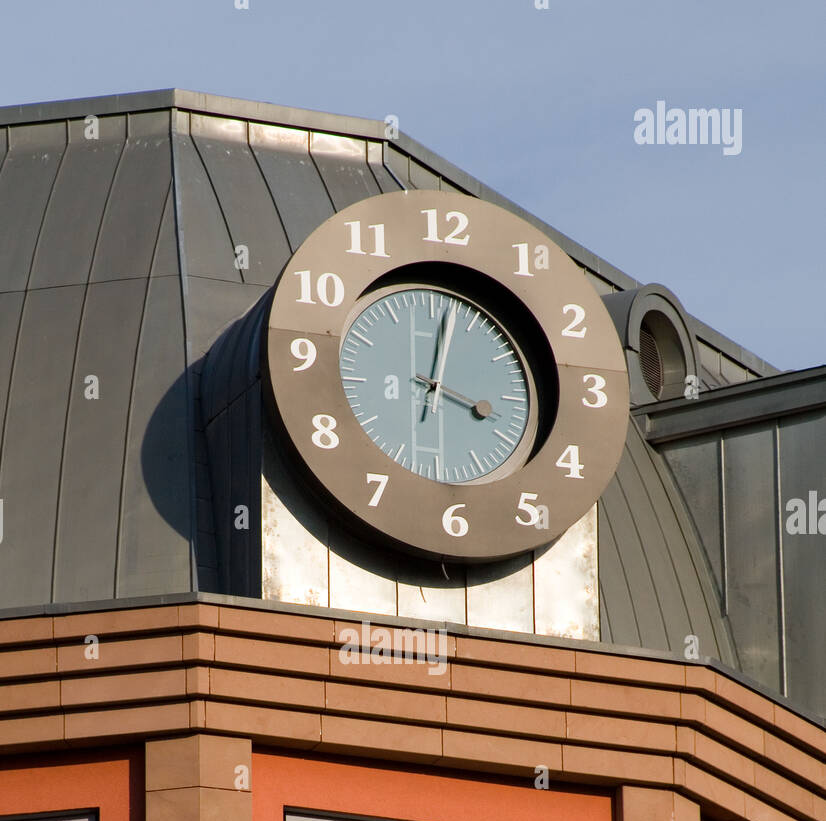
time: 4:02
